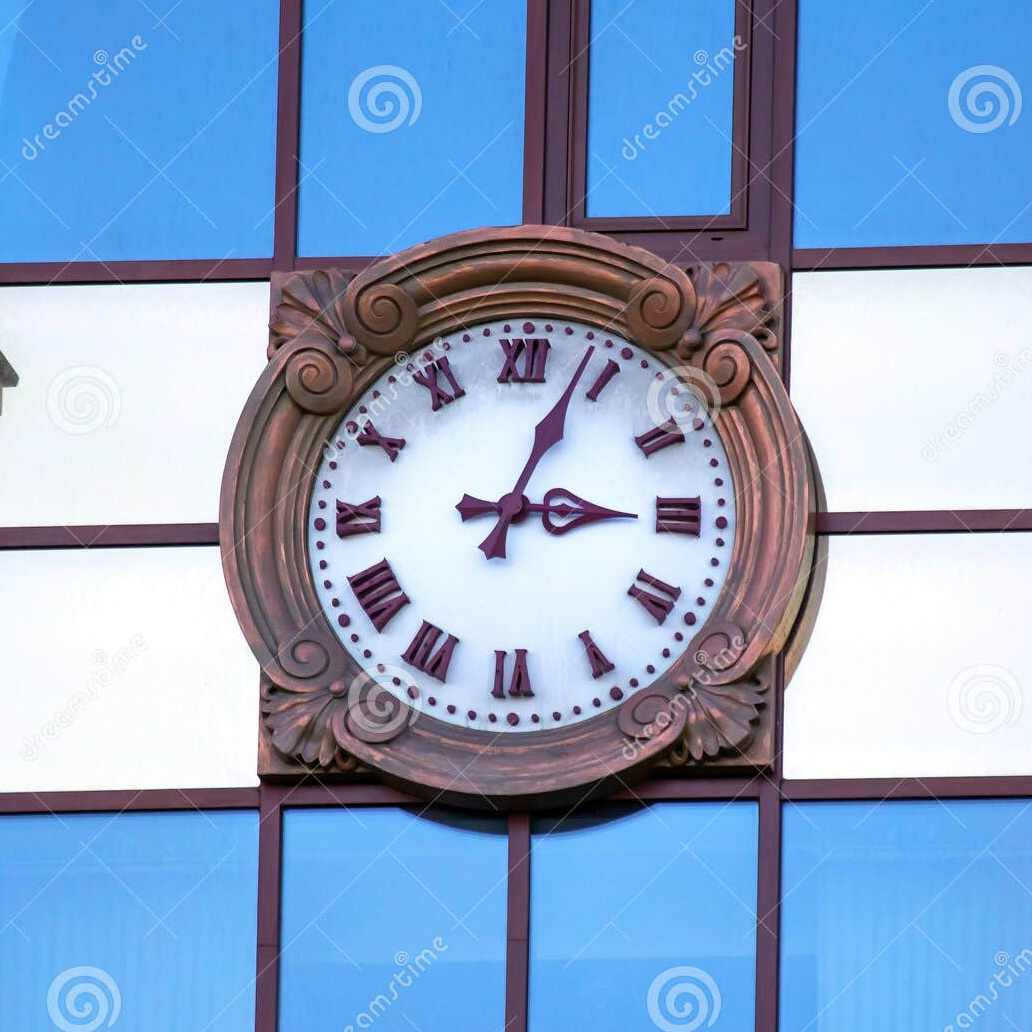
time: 3:03
